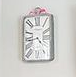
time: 4:42
